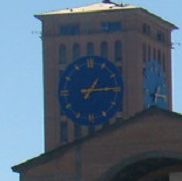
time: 1:14
